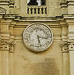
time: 3:27
